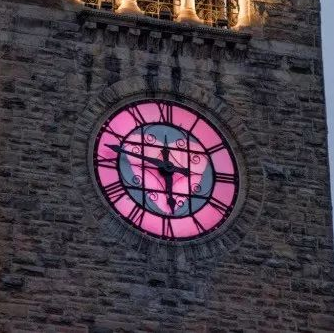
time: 5:47
